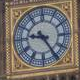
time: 9:24
